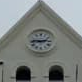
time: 2:45
